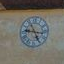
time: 9:25
